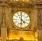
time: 4:31
